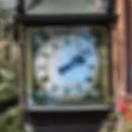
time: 2:08
